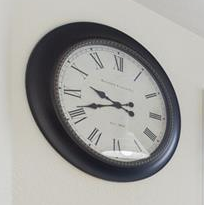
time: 9:41
